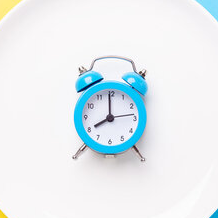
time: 7:59
